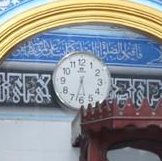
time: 5:32
